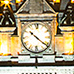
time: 10:21
